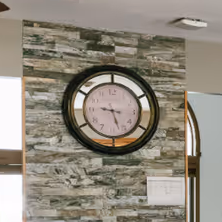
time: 9:27
